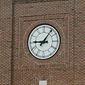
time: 9:06
